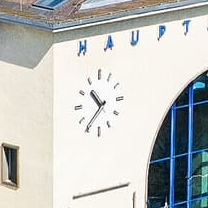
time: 10:36
